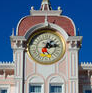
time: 1:13
